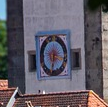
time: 6:17
